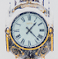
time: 1:22
